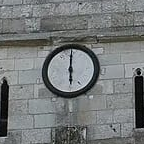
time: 6:00
